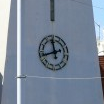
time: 11:42
